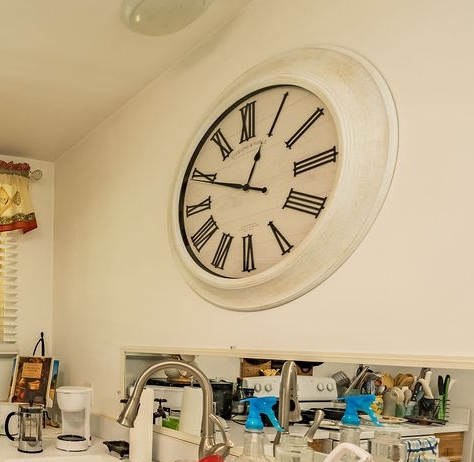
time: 12:49
